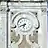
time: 6:41
